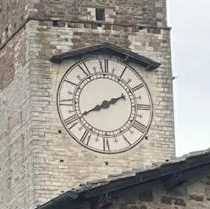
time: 8:10
